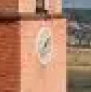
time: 6:34
